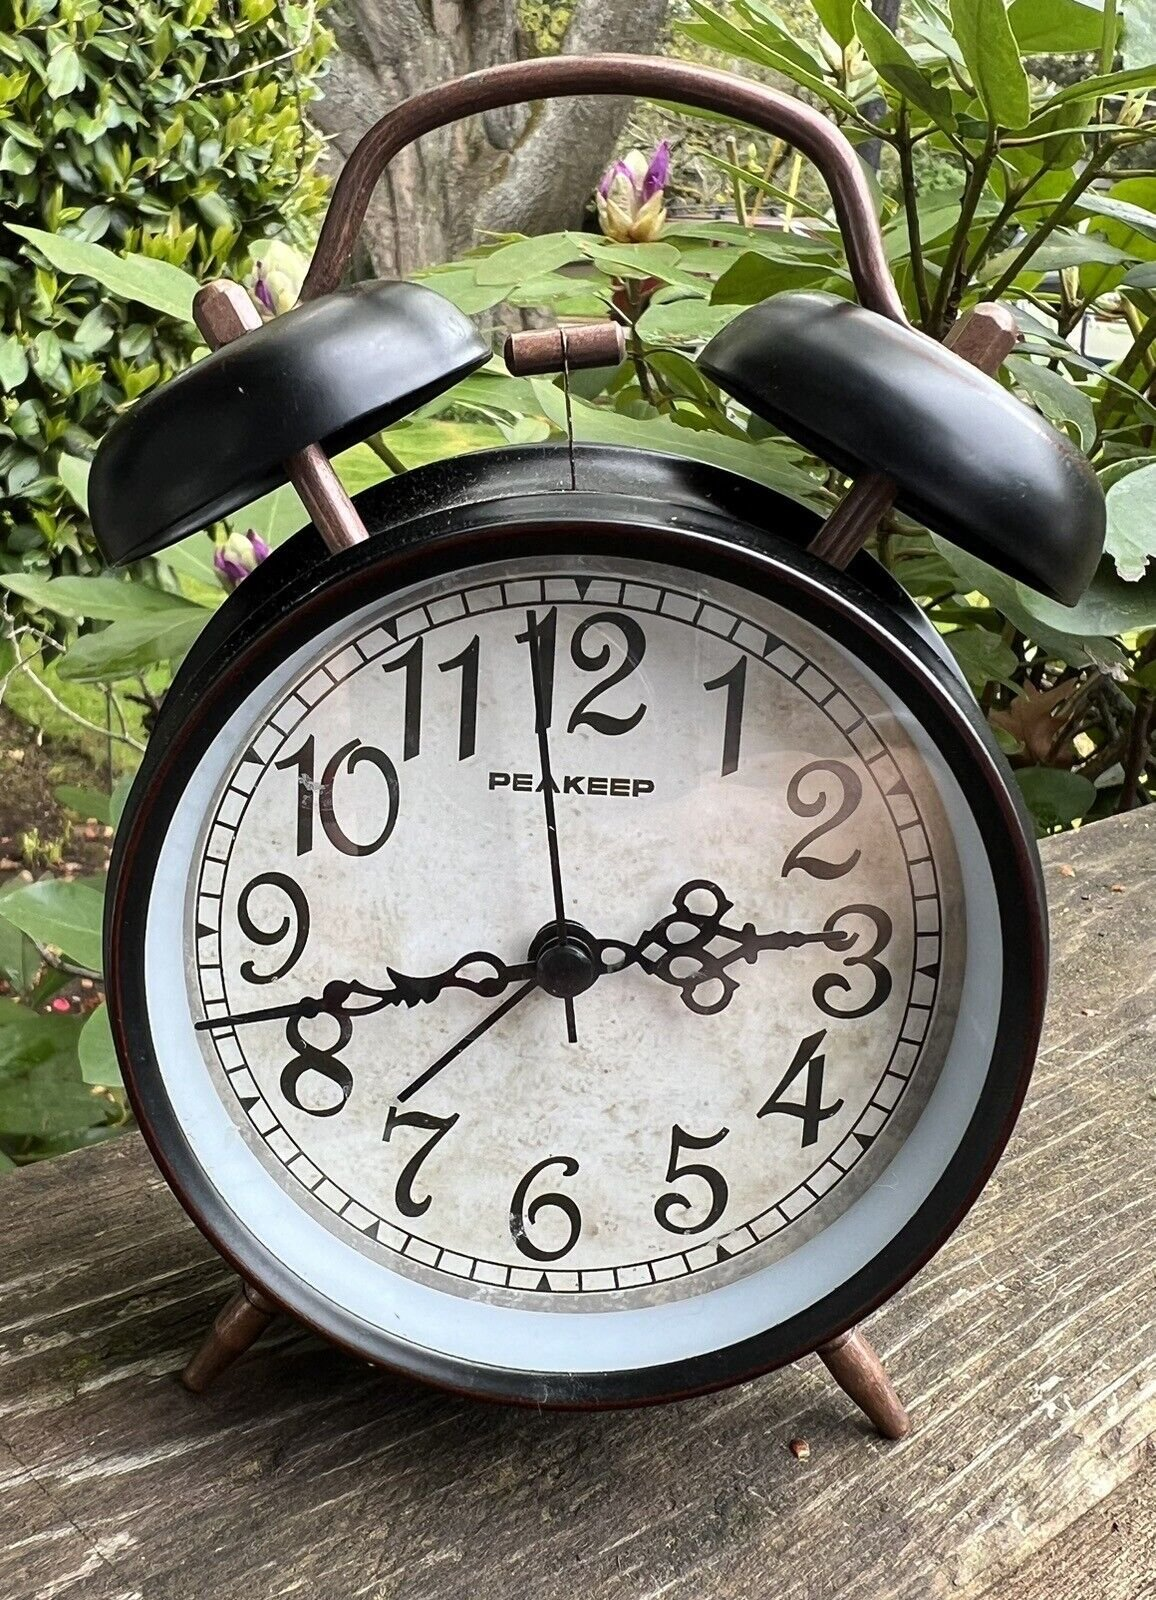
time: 2:42
